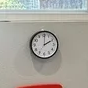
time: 2:00
